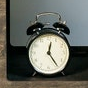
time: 12:24
